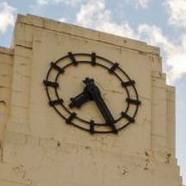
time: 7:25
